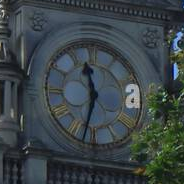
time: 11:32
